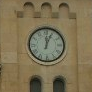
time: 12:04
